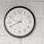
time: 8:41
